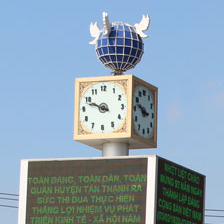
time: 9:48
